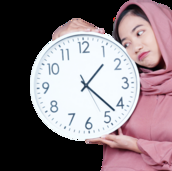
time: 1:22
